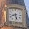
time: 8:27
